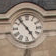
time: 4:53
